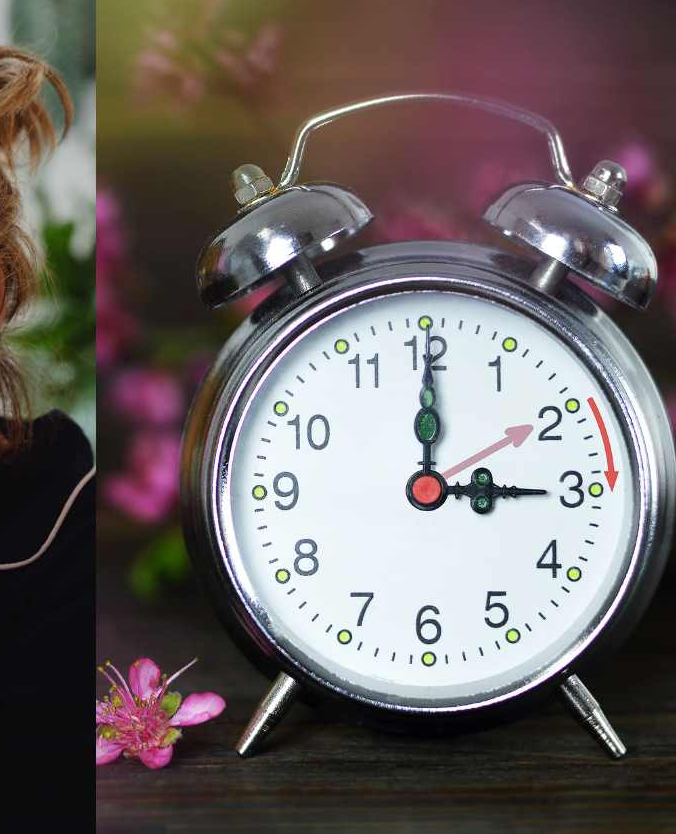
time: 3:00
